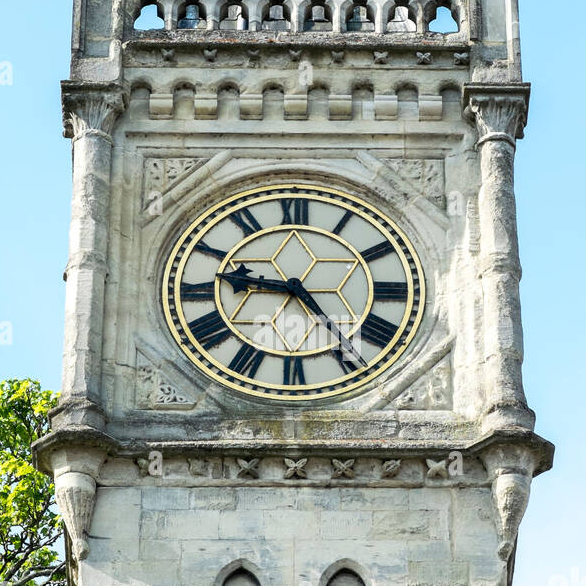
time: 9:23
